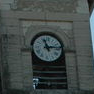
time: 11:13
